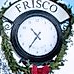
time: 10:35
